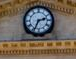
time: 2:34
